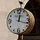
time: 12:17
